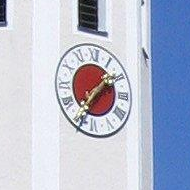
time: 1:36
